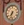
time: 7:32
